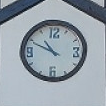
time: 10:49
